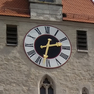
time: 2:32
